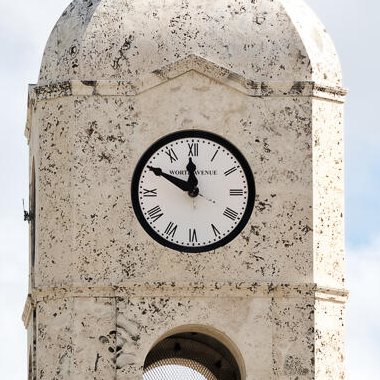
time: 11:49
